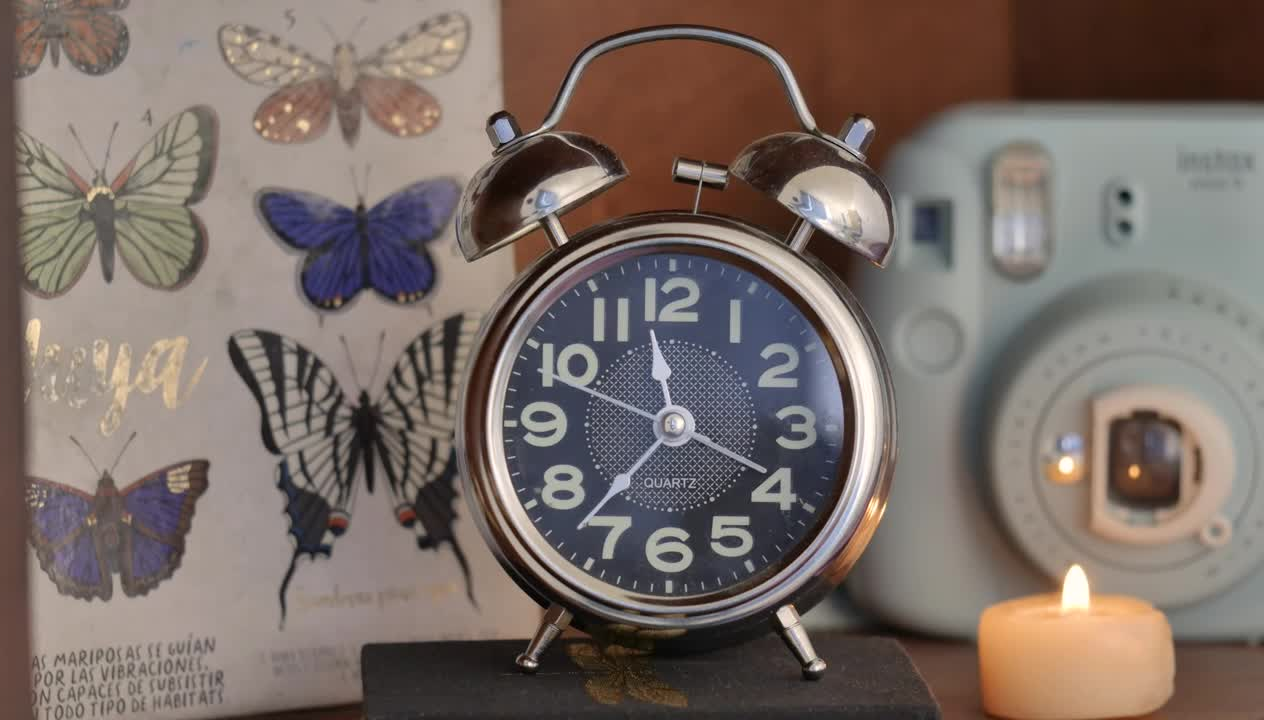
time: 11:37
